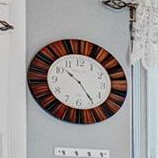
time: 10:24
